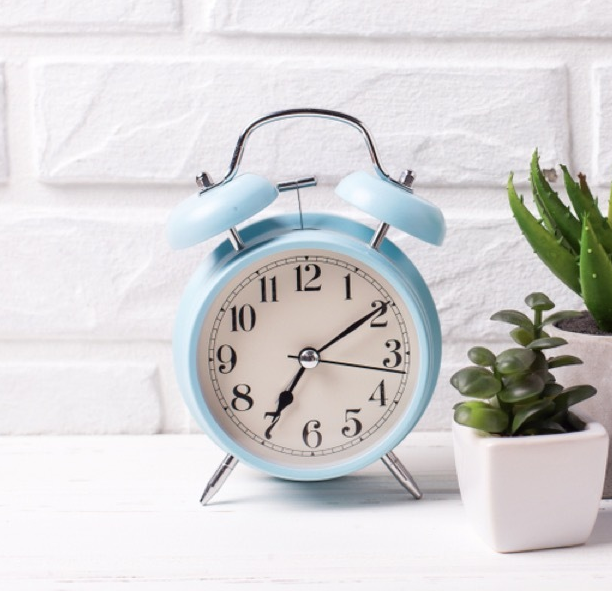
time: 7:09
